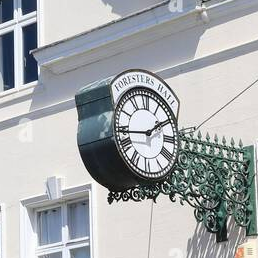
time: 1:43
